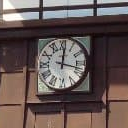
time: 12:17
